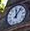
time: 12:07
